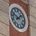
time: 1:47
